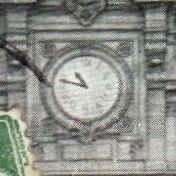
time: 10:47
